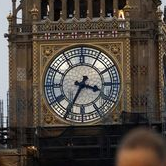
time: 3:34
